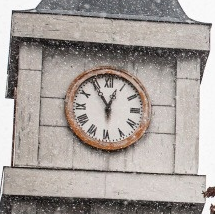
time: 12:54
